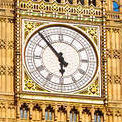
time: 5:53
